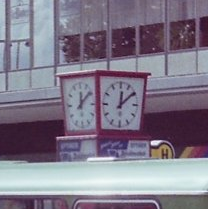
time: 12:08
